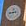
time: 11:43
